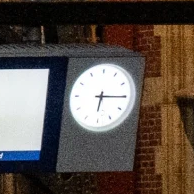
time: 6:15
